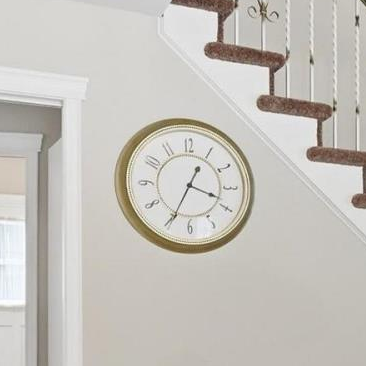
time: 3:34
